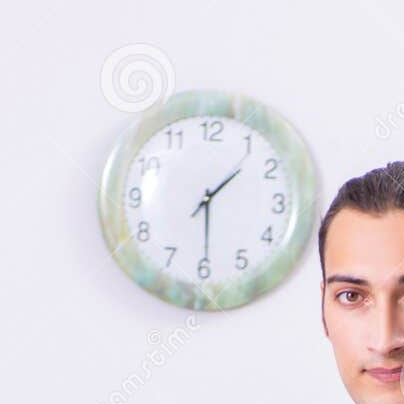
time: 1:29
